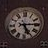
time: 5:14
